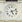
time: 5:11
